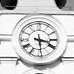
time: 3:28
